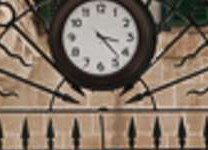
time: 3:22
